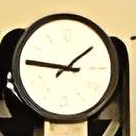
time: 1:46
